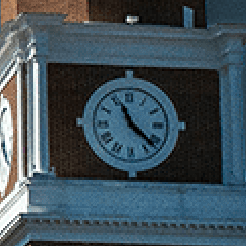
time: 11:21
